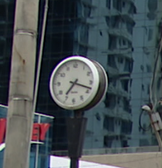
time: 7:18
